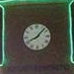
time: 8:07
